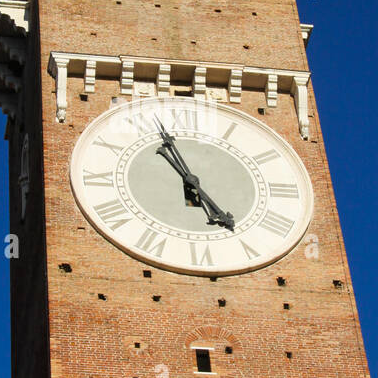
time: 4:57
